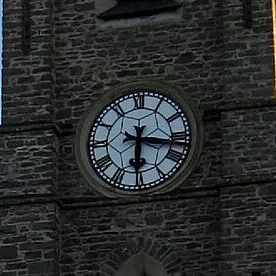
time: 6:16
